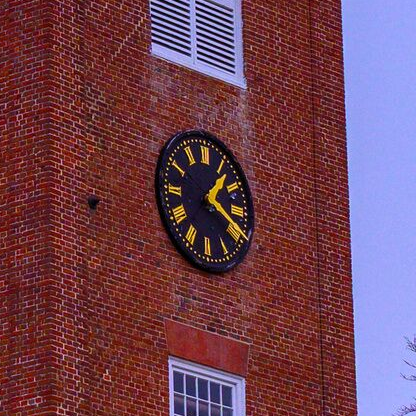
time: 1:18
